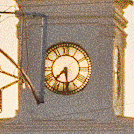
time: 7:28
